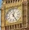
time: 12:24
